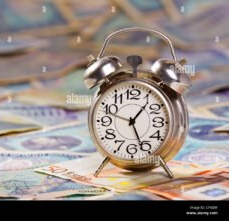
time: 1:26
